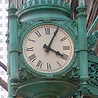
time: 4:04
